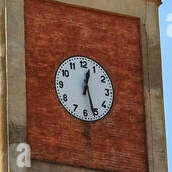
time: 12:26
